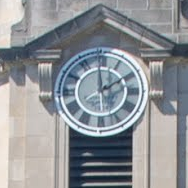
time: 1:59
